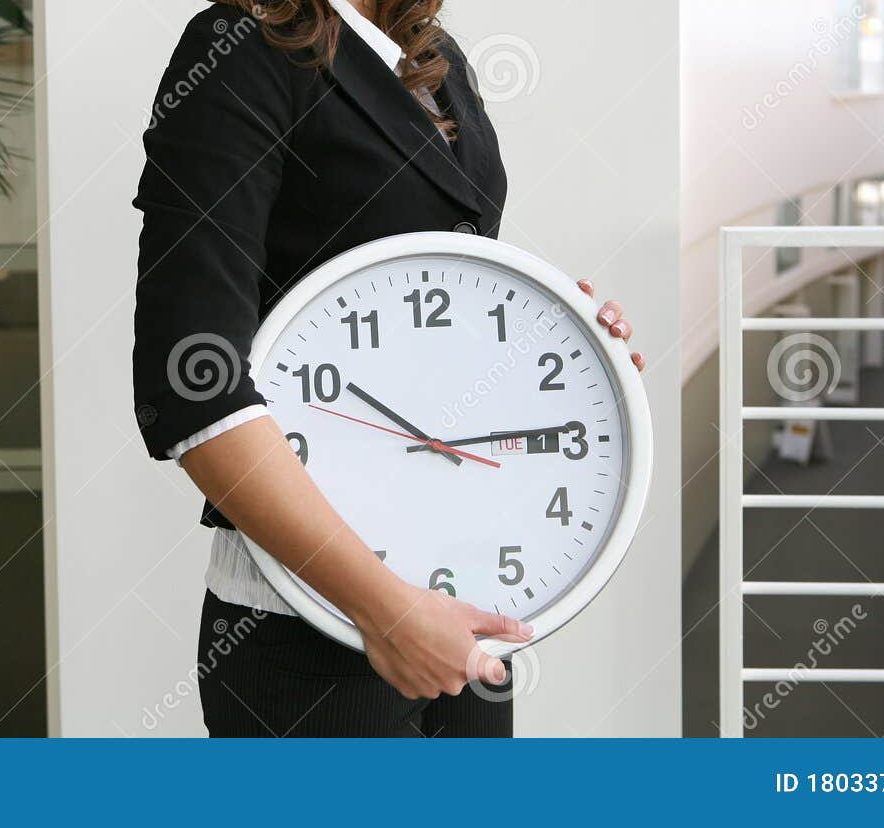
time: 10:13
